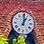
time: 1:01
